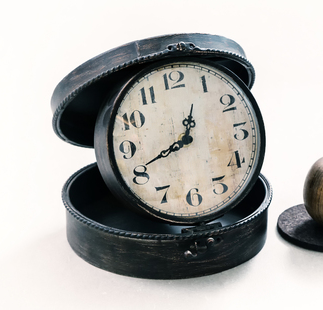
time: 12:40
